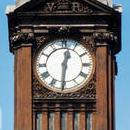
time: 12:30
